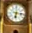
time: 6:15
